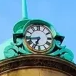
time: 6:43
